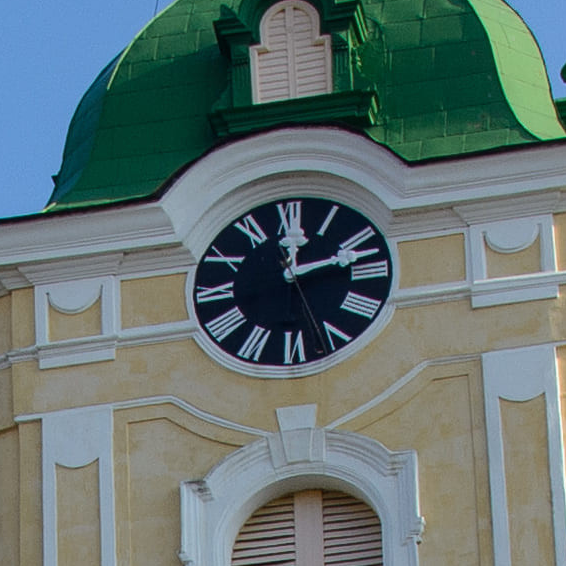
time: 12:12
